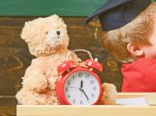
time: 12:24
